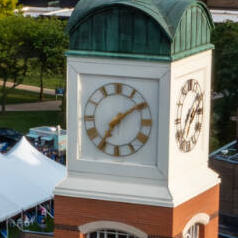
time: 7:09
